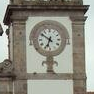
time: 6:50
